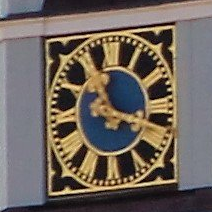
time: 11:18
